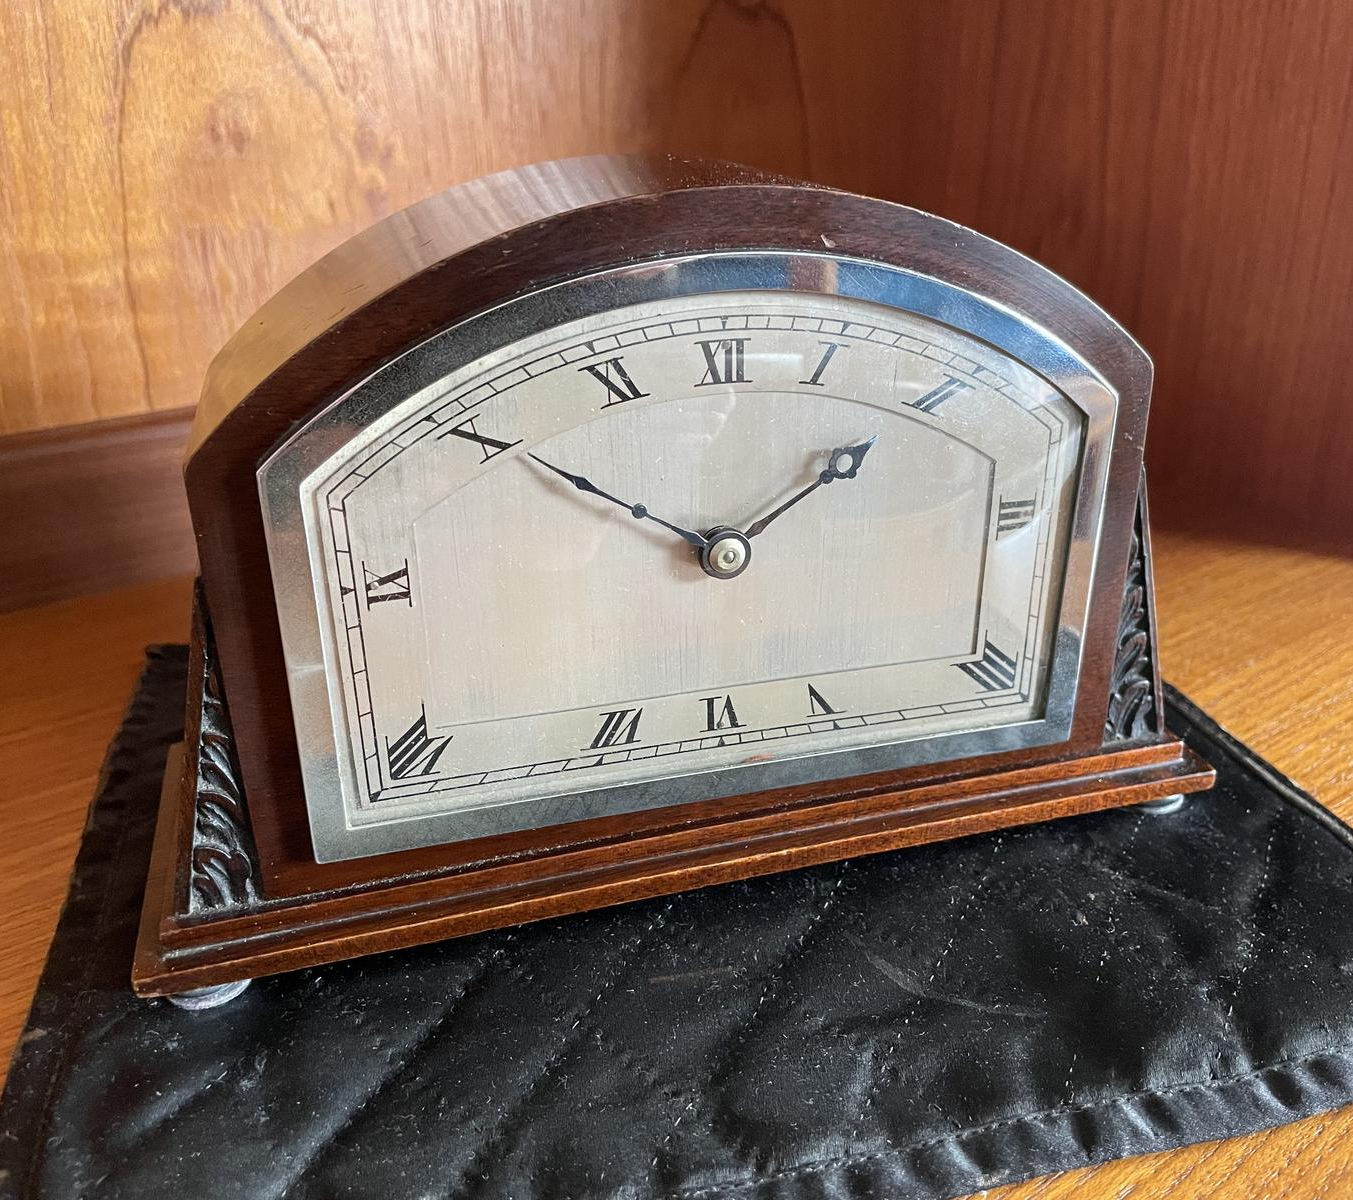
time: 1:50
